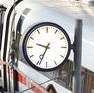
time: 9:34
